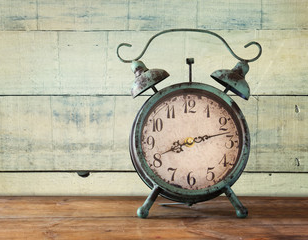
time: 8:12
